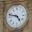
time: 4:47
